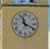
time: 11:19
